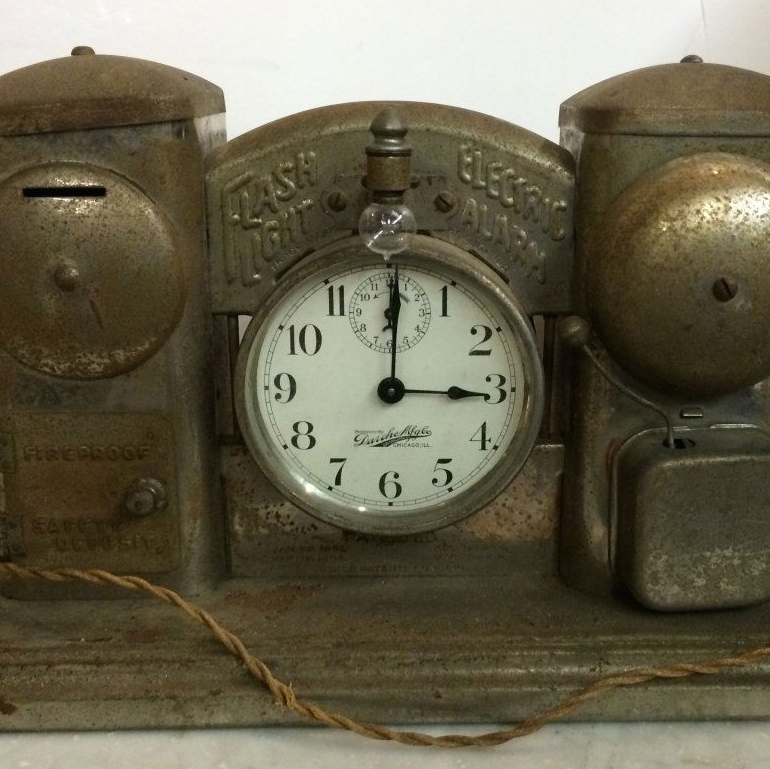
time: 3:00
